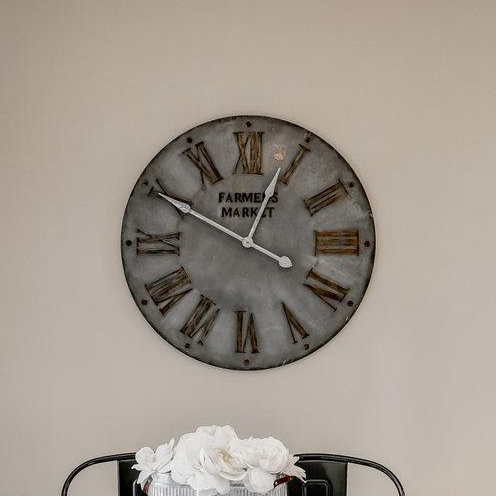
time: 12:49
